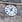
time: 12:52
